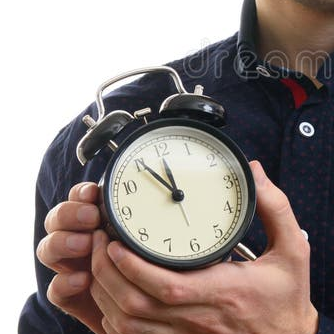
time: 11:55
